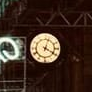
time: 4:02
